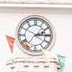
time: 2:14
